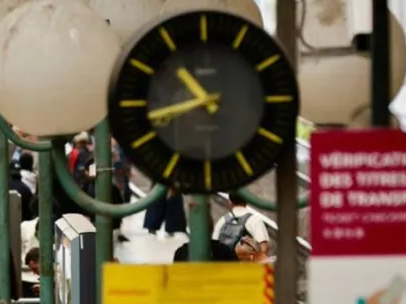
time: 10:42
